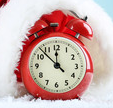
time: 11:52
